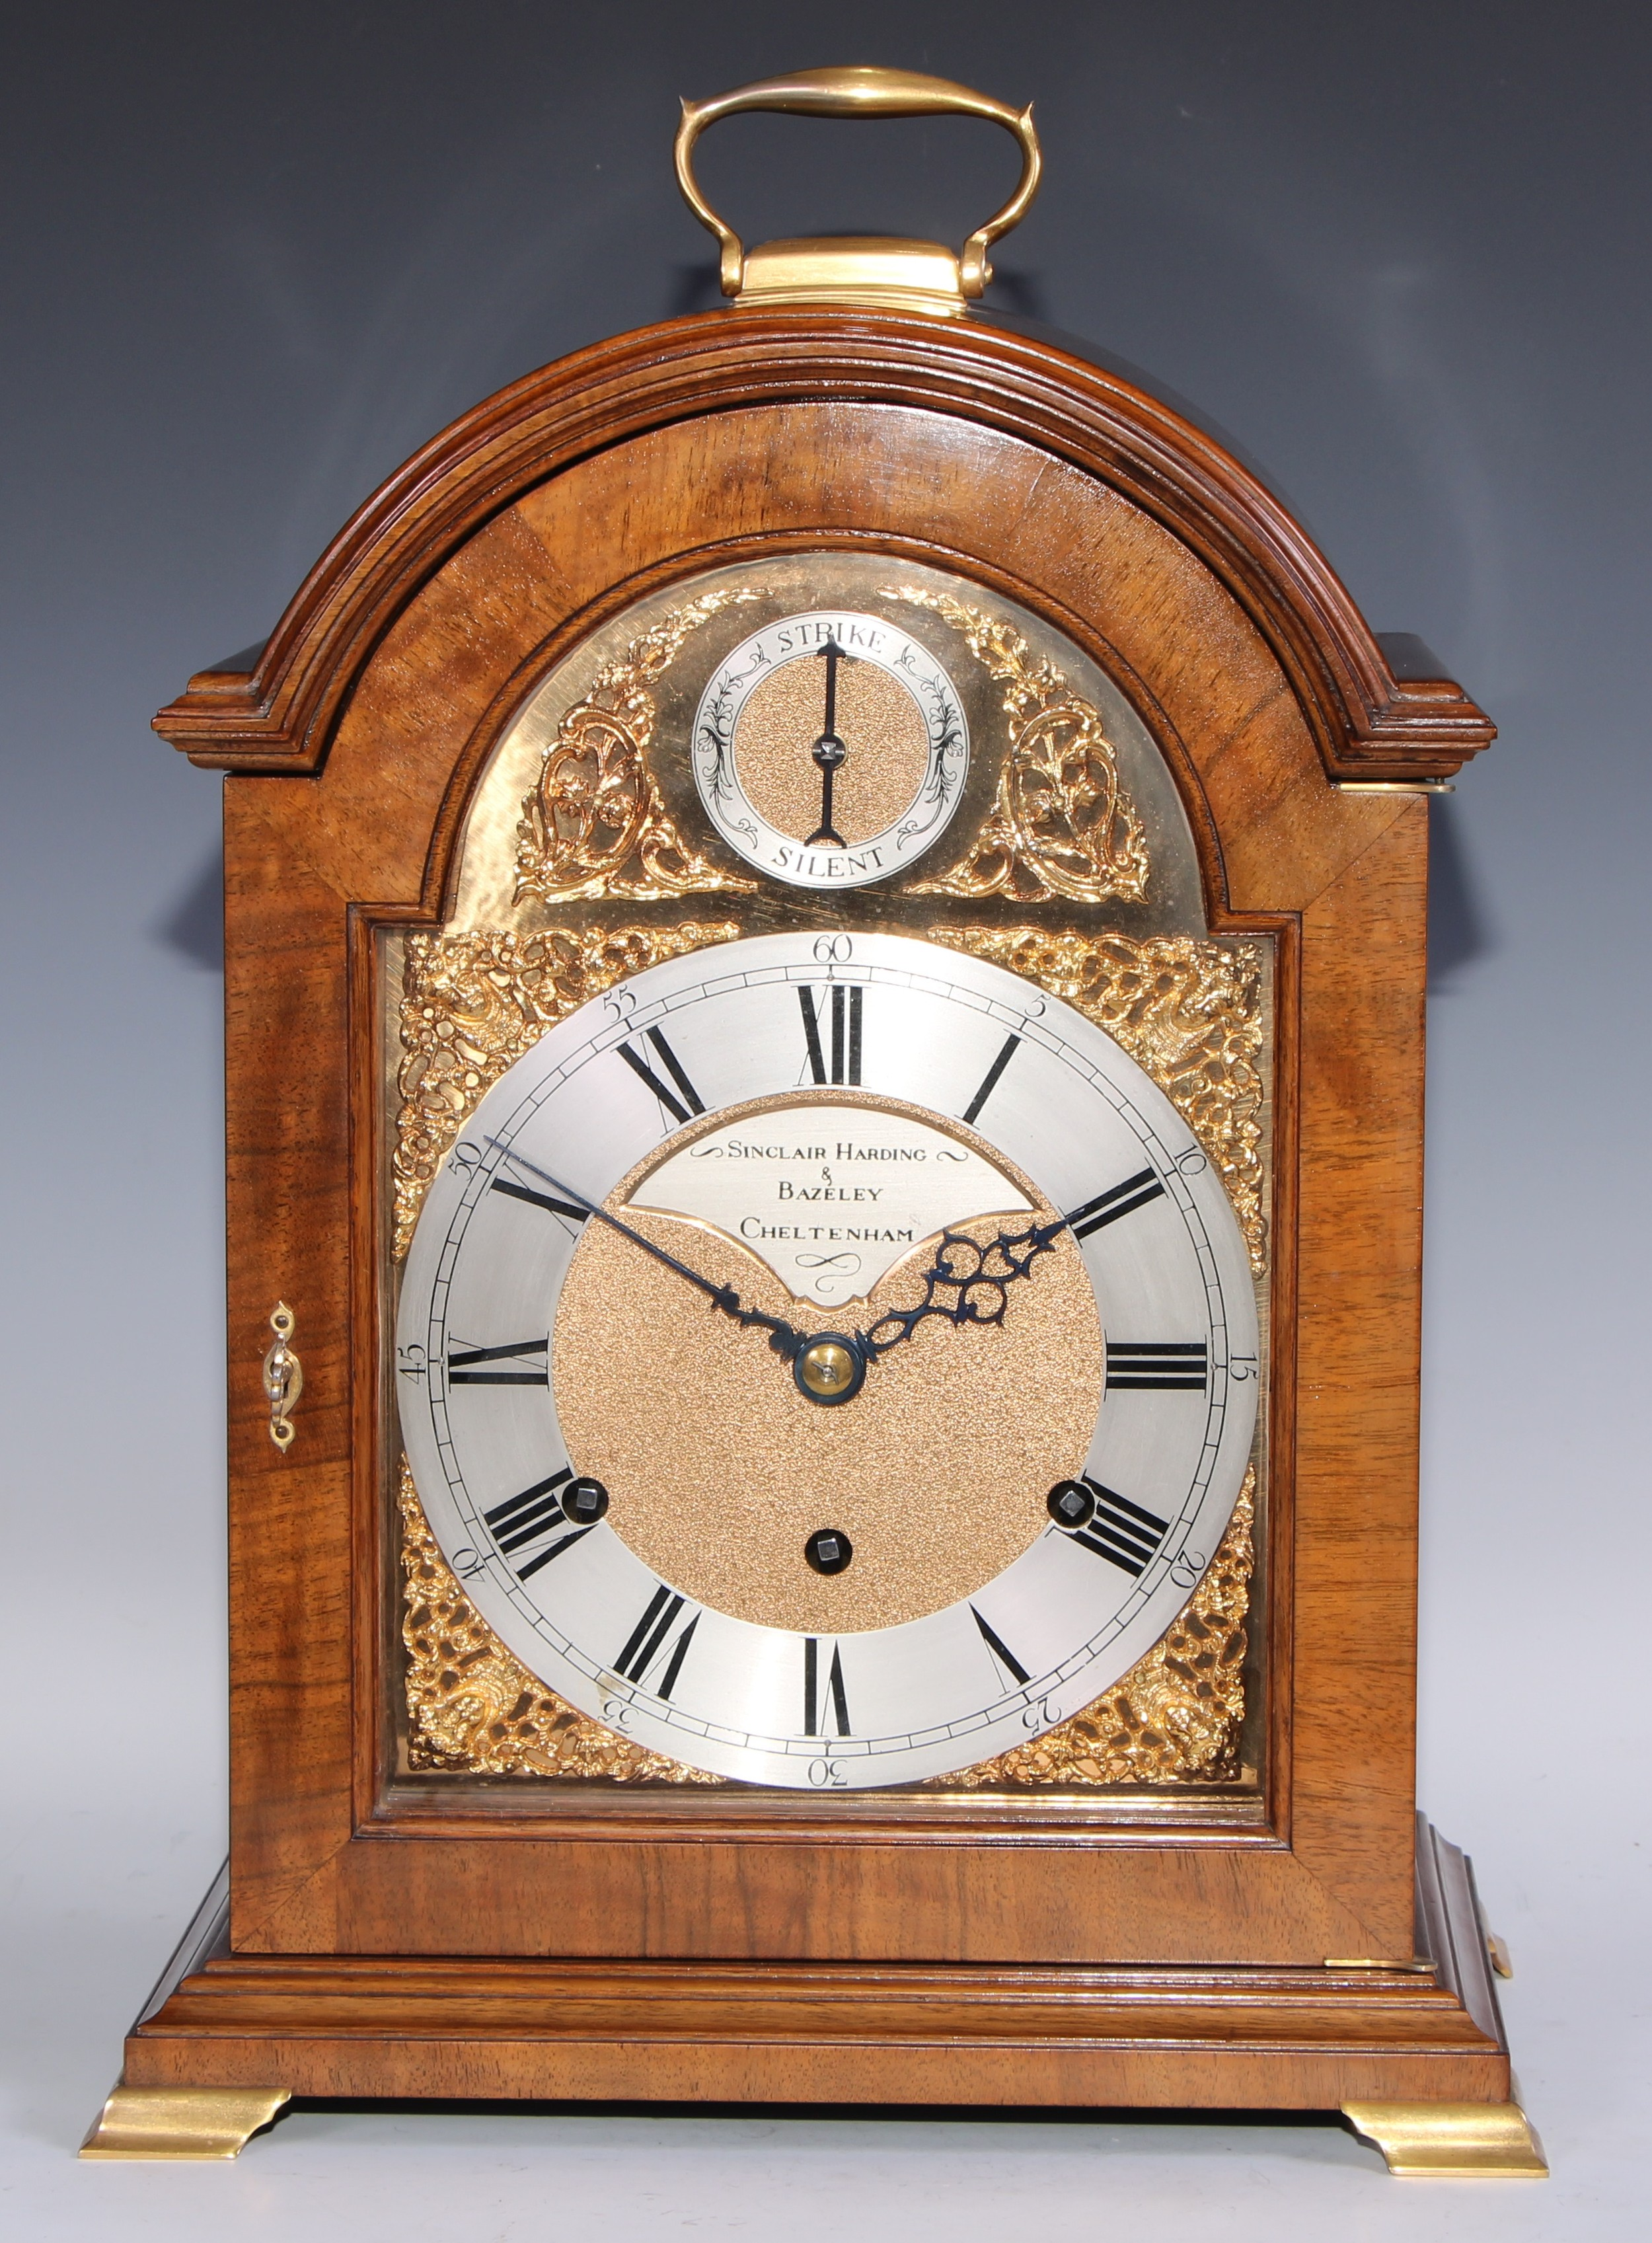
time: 1:50
